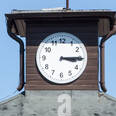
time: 3:14
